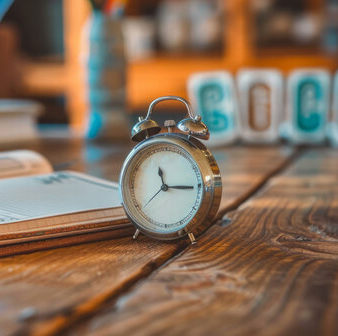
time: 11:15
